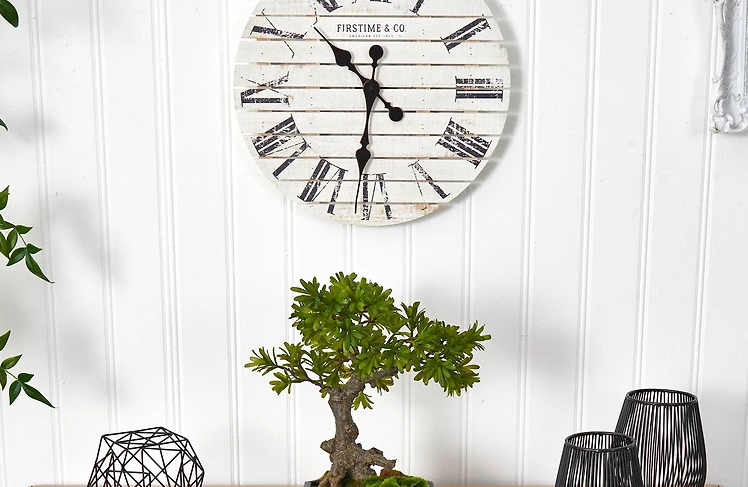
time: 10:31
